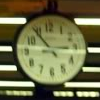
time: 2:53
